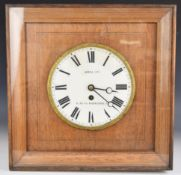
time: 3:21
